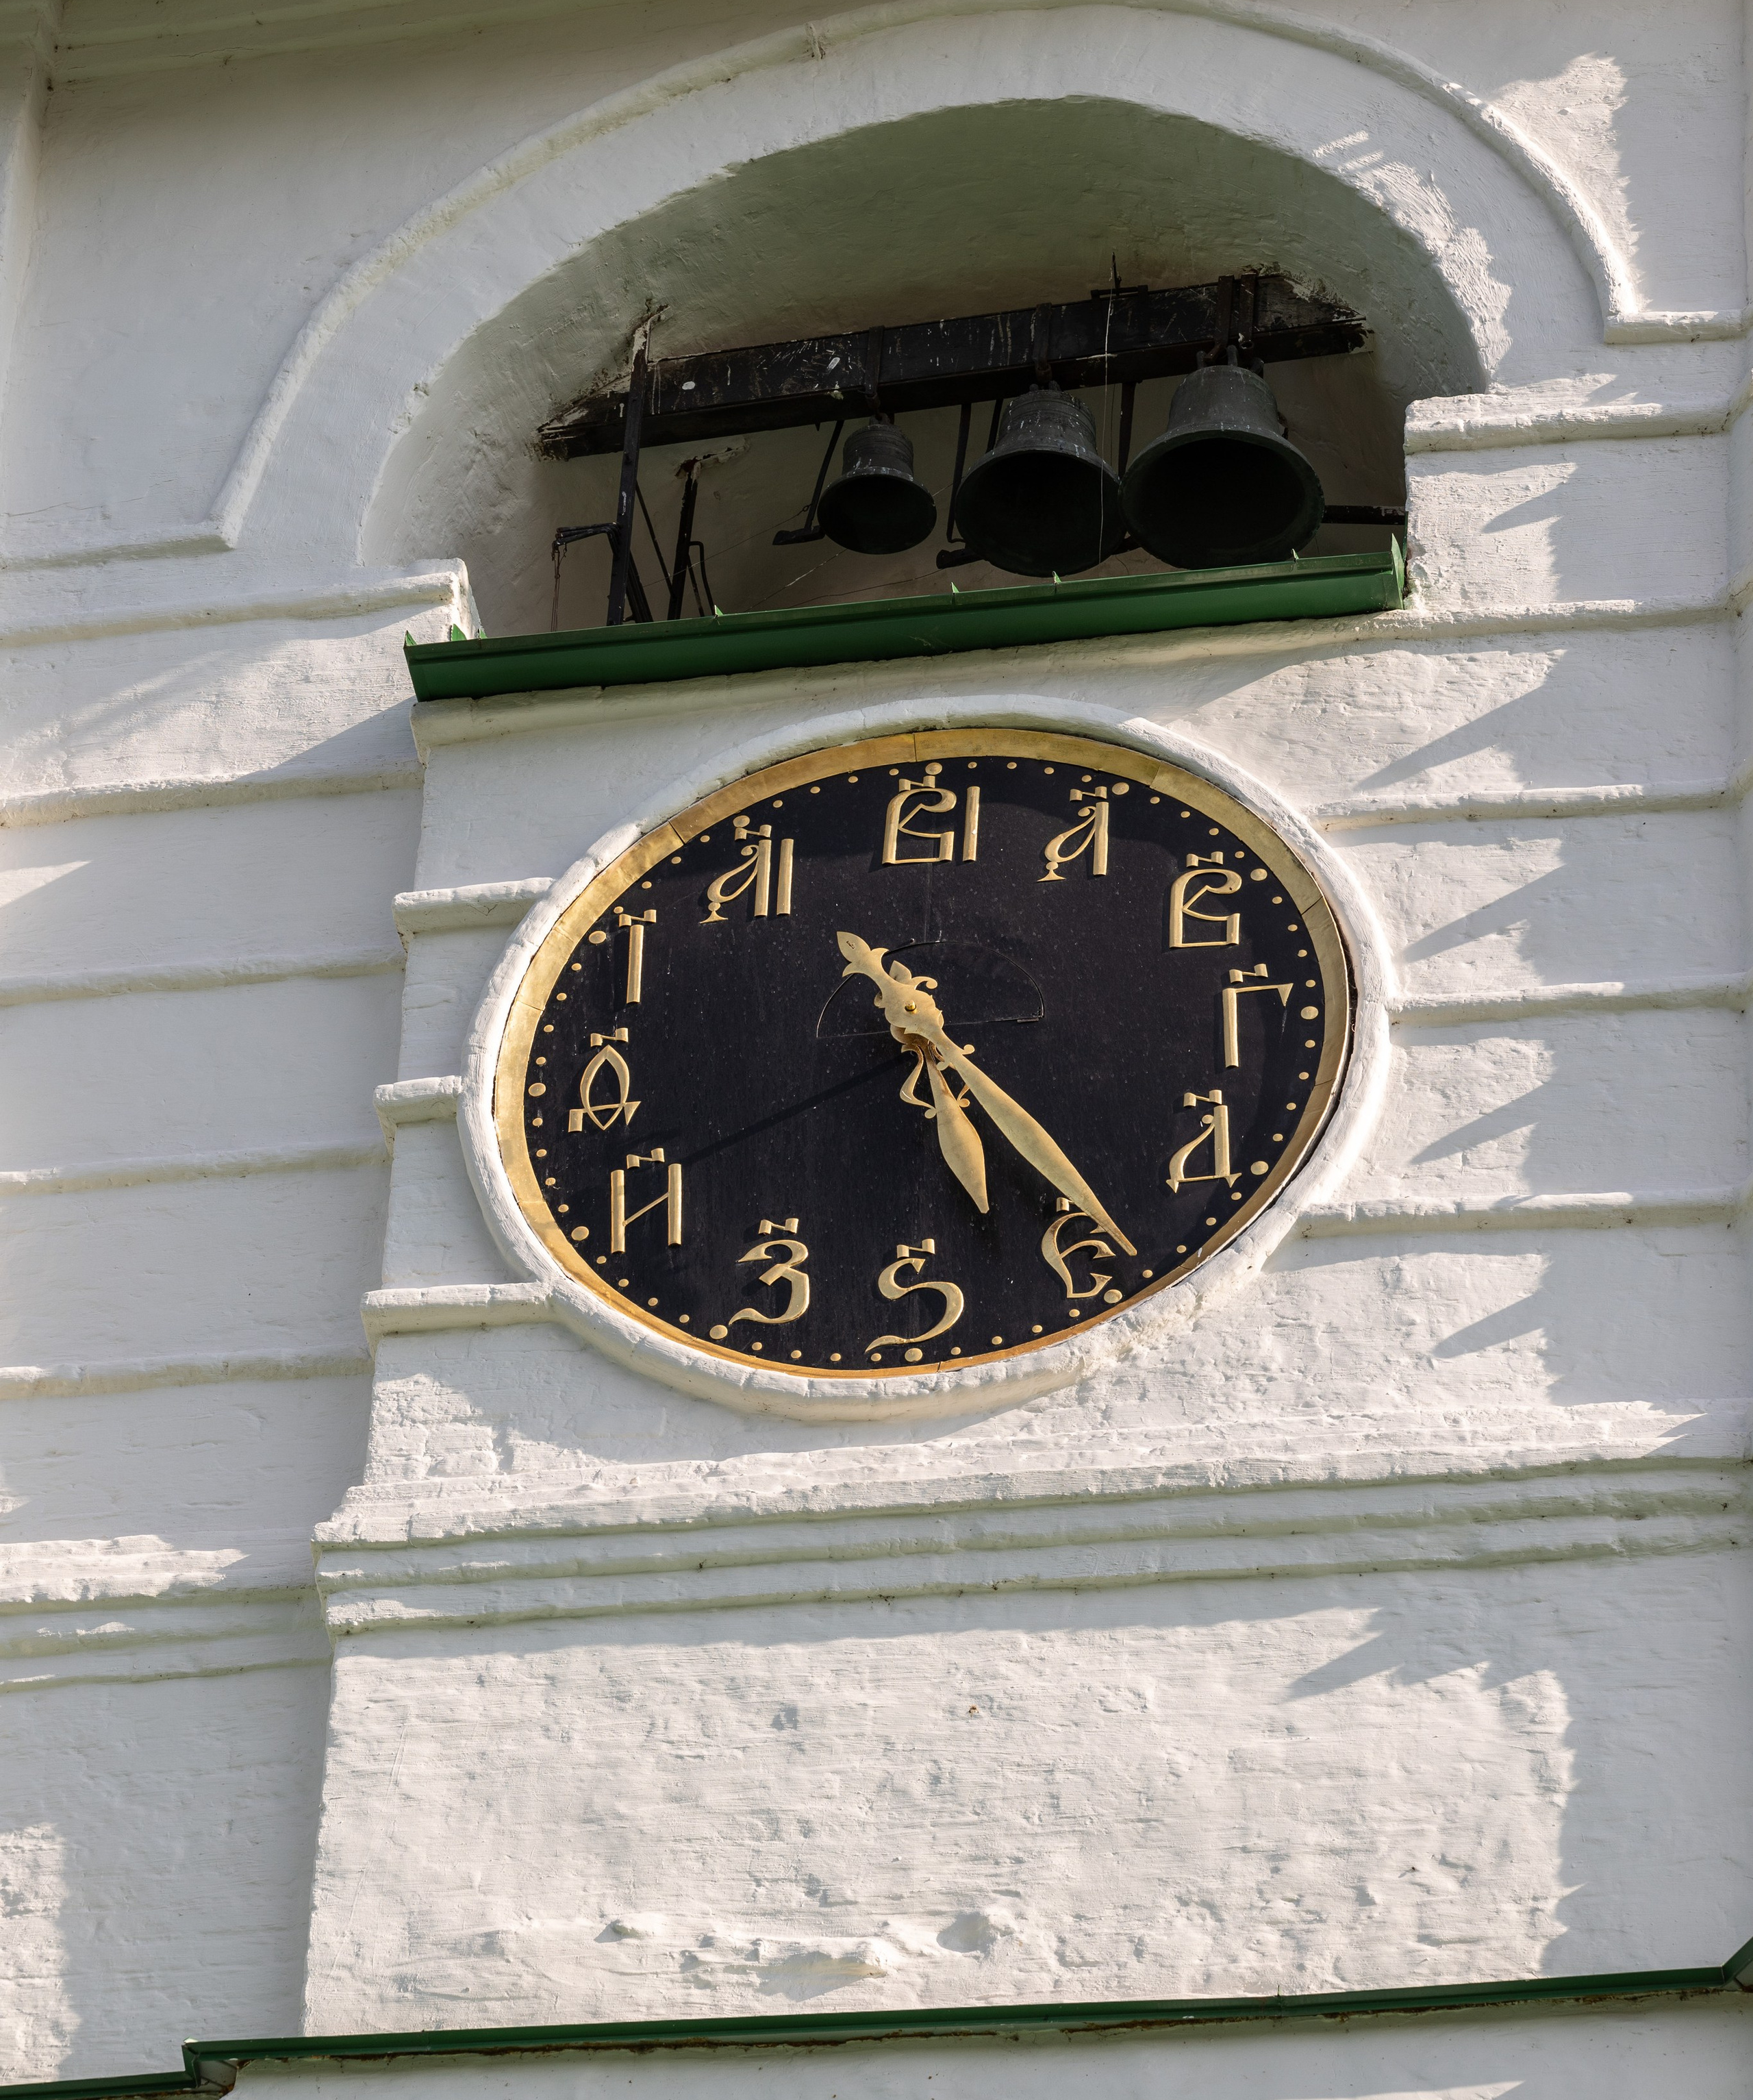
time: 5:24
